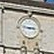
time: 2:46
